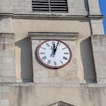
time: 12:03
